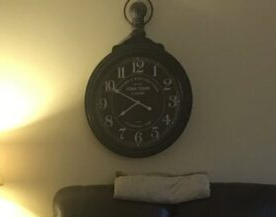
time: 7:49
